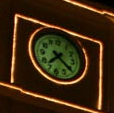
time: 7:21
